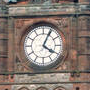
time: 4:04
